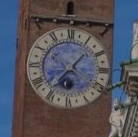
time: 1:36
